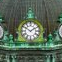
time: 1:50
